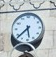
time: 5:38
